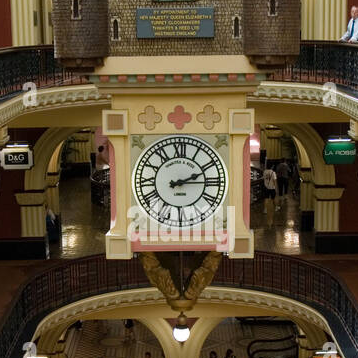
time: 2:14
